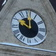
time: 10:00
